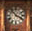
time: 3:52
